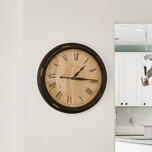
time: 1:14
